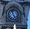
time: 4:57
